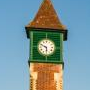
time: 5:49
